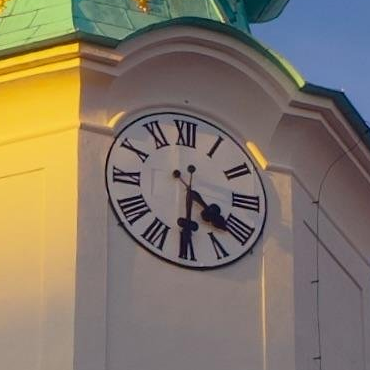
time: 4:30
